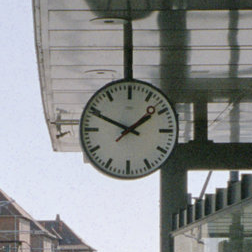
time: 1:49
